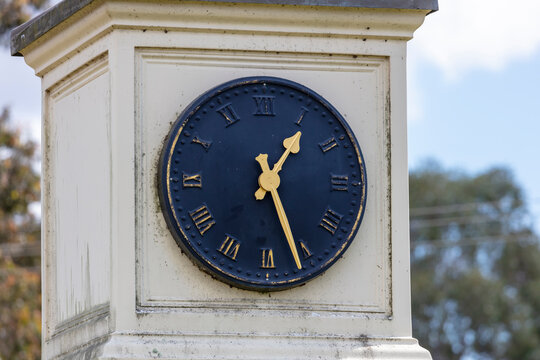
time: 1:26
